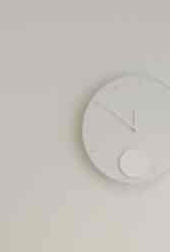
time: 11:50
